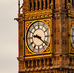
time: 9:21
